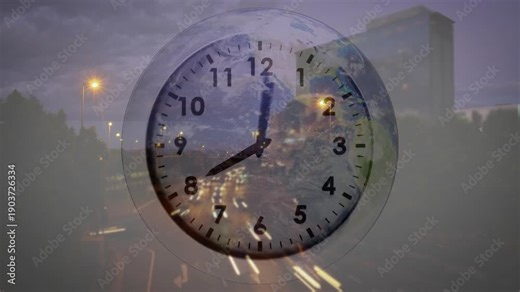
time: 8:01
